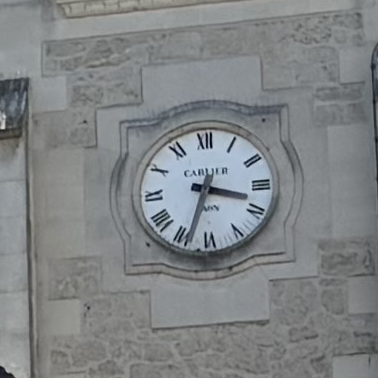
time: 3:33
